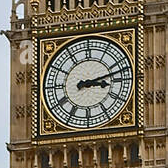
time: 3:12
